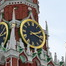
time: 2:18
